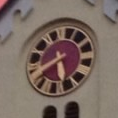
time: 5:40
